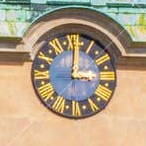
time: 3:00
